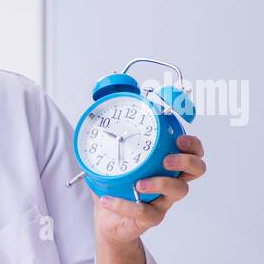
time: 9:27
